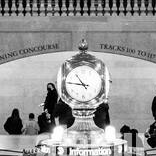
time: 10:45
